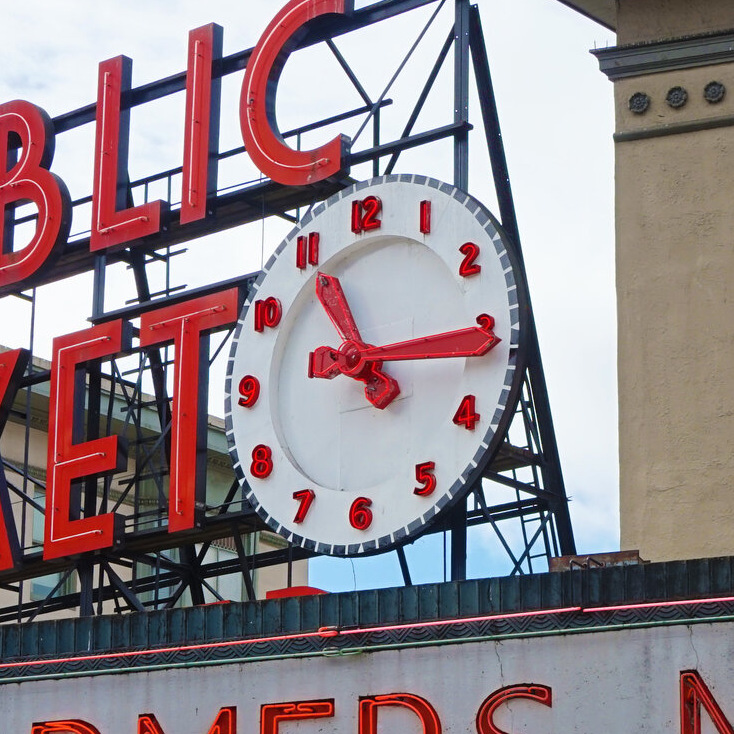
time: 11:14
